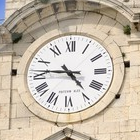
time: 4:46
